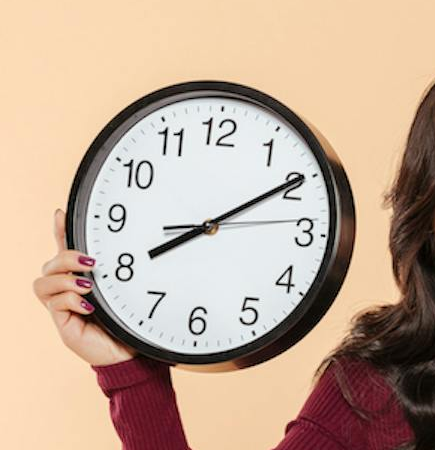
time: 8:09
